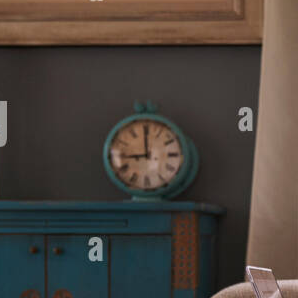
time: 8:59
